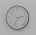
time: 2:34
